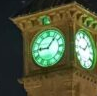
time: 9:07
